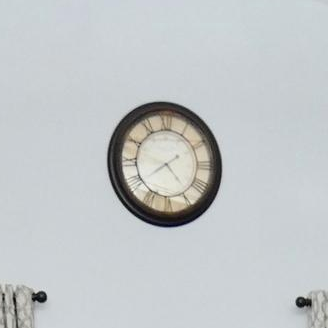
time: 4:39
